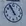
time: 10:55
